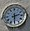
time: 2:30
